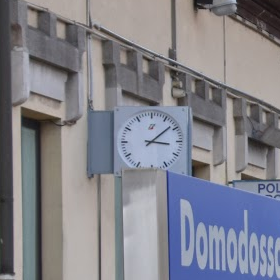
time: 3:08
